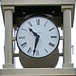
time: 10:32
